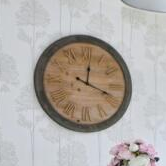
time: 12:18
